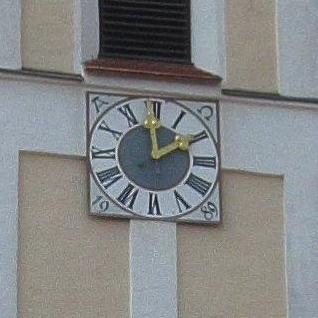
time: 1:59
